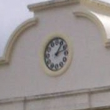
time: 1:12
